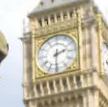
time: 2:30
